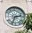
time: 2:33
